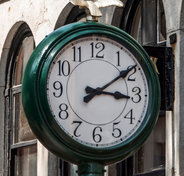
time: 3:09
